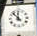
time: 11:52
